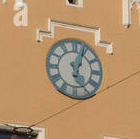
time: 5:03
